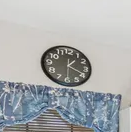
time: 1:19
